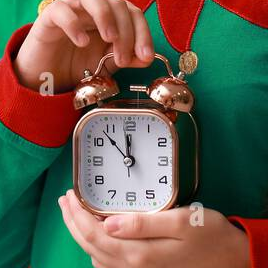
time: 11:52
